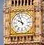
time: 9:57
